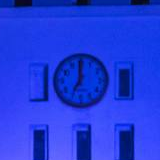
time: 7:00
